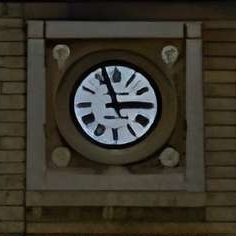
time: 2:56
